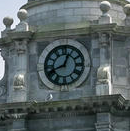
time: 12:41
